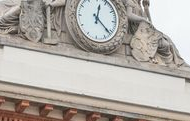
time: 12:21
